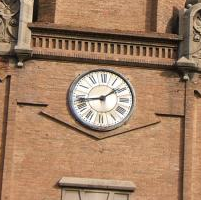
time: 1:43
